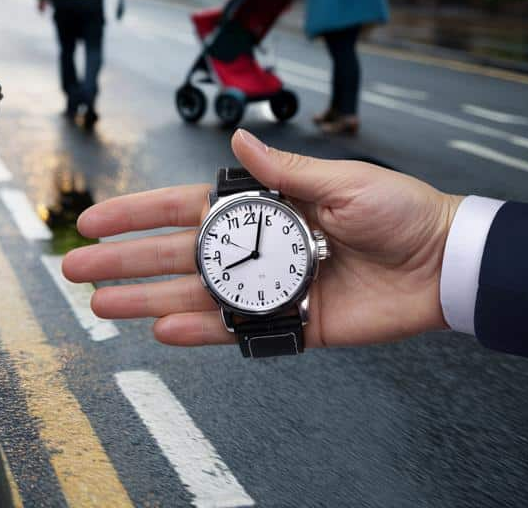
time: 8:02
